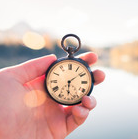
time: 6:08
